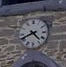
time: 4:40
